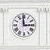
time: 2:59
